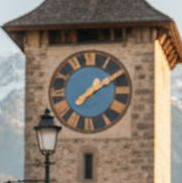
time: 1:09
